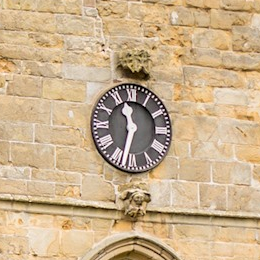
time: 11:32
